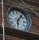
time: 6:06
